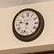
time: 9:32
